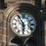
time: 5:54
